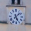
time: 5:07
